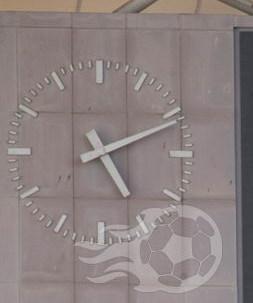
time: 5:11
